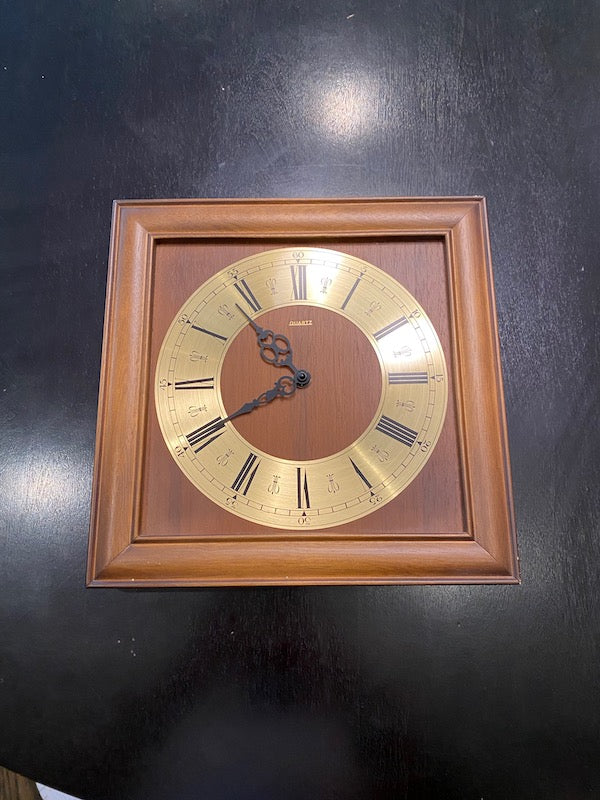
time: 10:40
